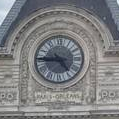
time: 4:44
